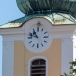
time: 10:47
